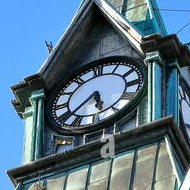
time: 5:38
